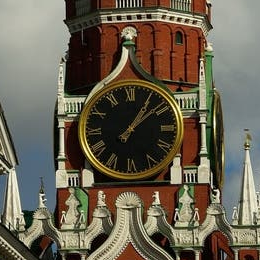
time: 1:08
